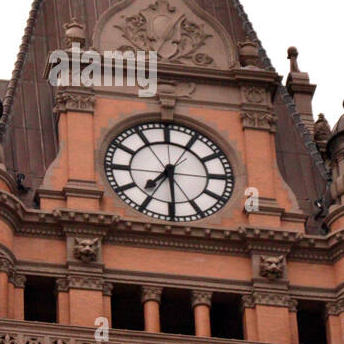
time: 7:29
